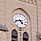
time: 4:42
